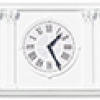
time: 1:25
